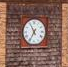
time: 6:55
